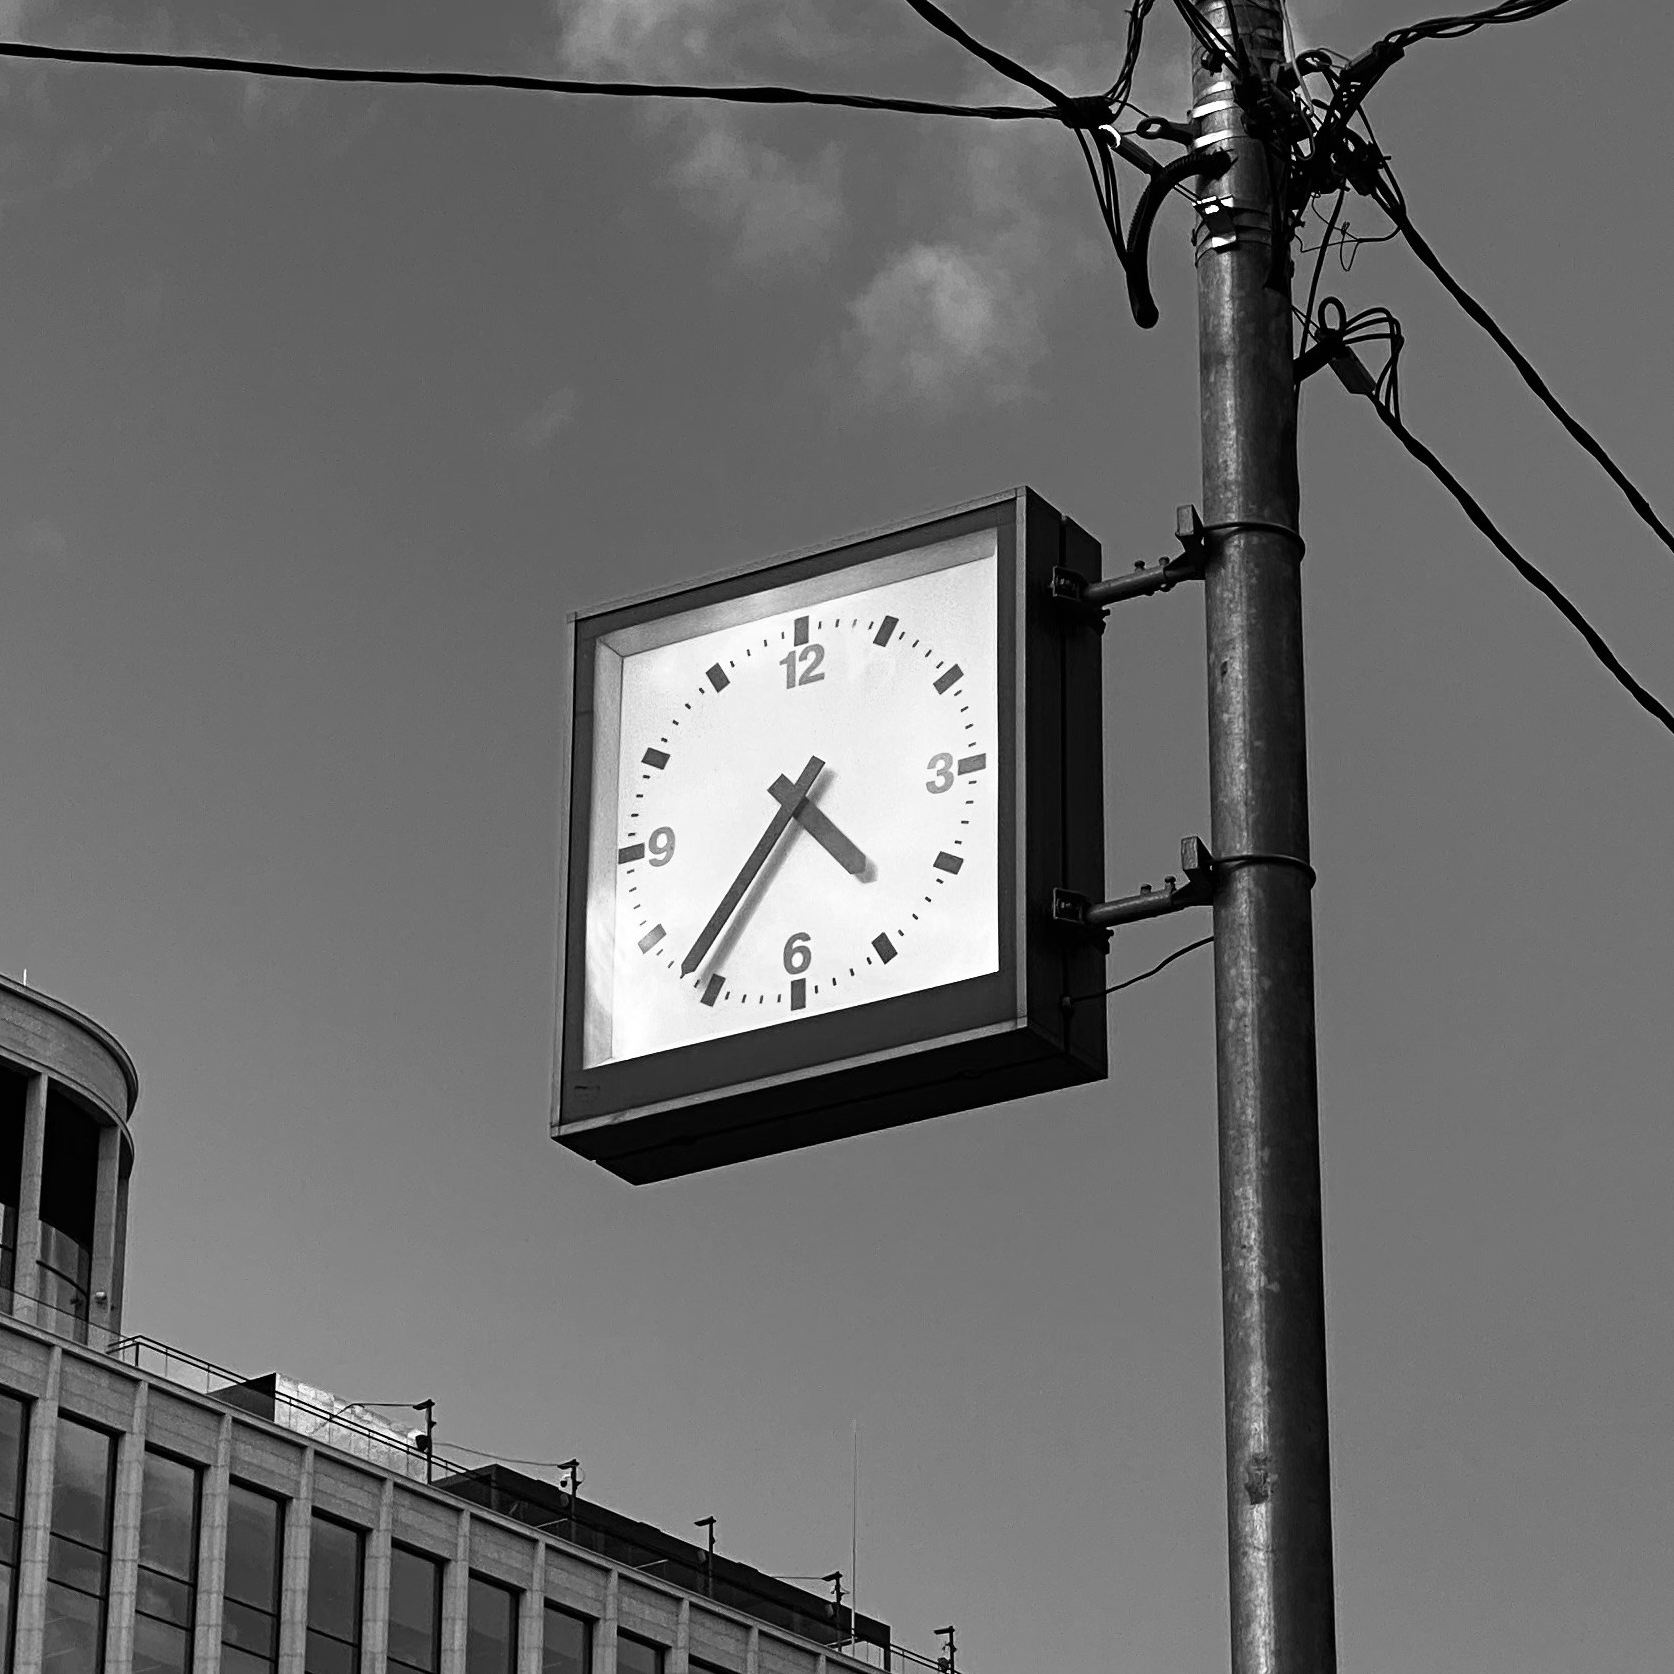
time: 4:36
